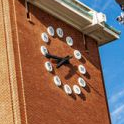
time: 7:43
